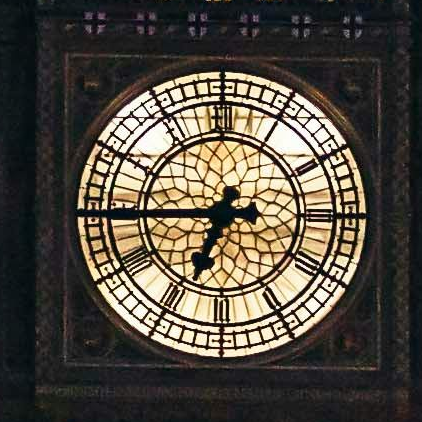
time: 6:44
